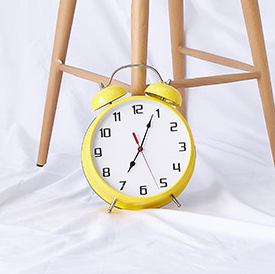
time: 7:04
